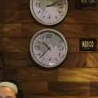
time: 10:37
